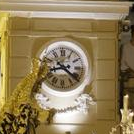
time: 8:21
